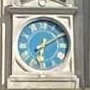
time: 6:10
